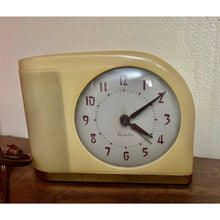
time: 4:09
